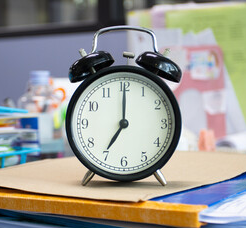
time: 7:00
